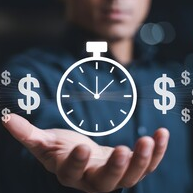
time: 12:07
